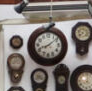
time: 8:08
